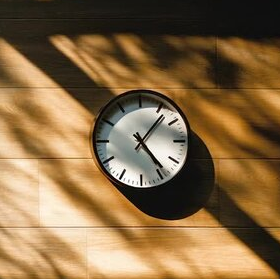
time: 1:23
